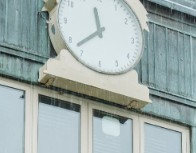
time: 11:37
